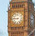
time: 8:45
